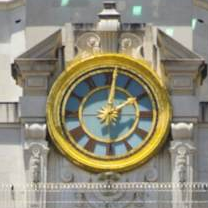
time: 2:01
